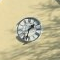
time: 1:32
